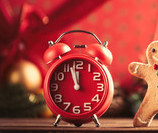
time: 11:57
